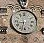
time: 8:32
